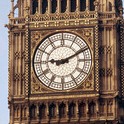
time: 9:10
